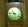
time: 10:45
